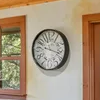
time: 9:17
